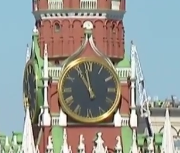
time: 10:58
